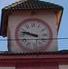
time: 9:47
